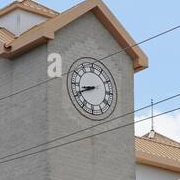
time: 8:40
